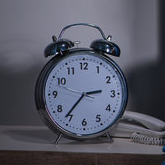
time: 2:36
